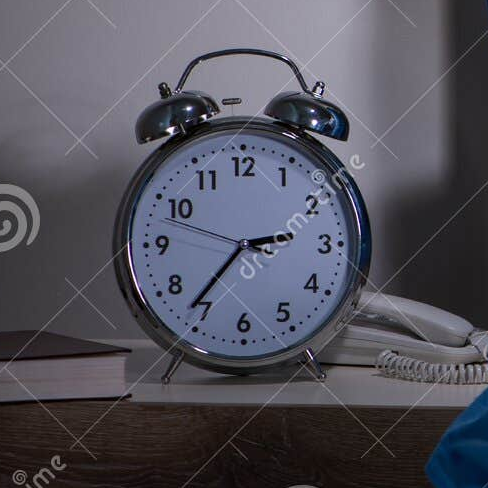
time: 2:36
